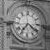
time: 7:20
